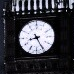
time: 8:25
